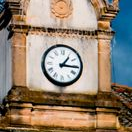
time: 1:15
